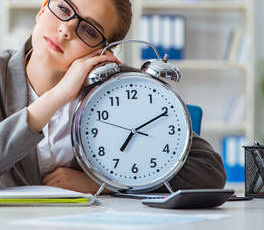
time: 7:10
